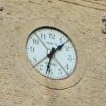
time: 1:32
